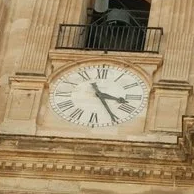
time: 3:24
